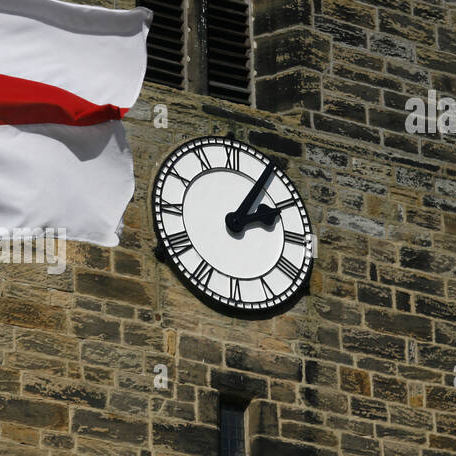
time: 2:05
